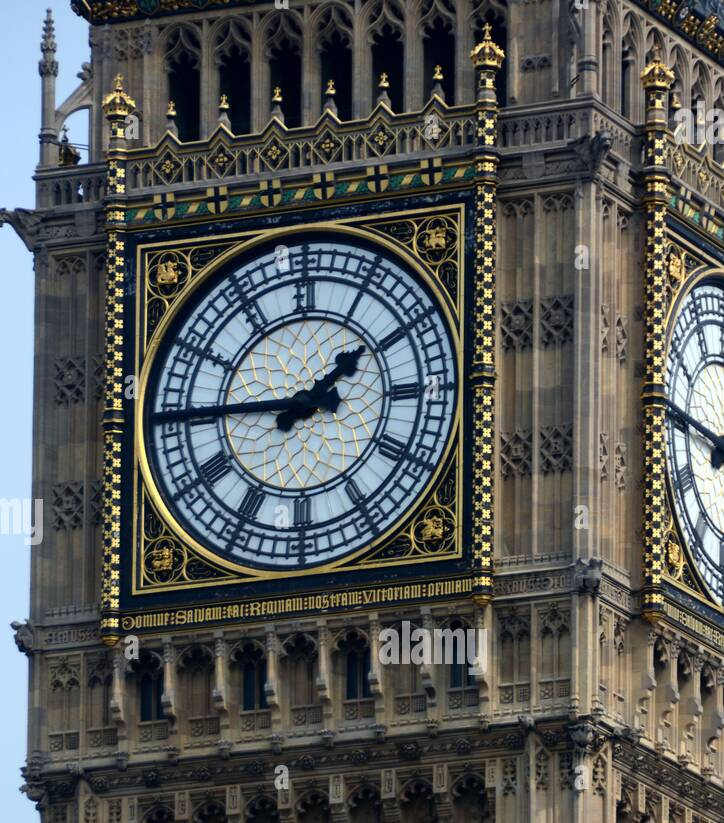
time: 1:45
